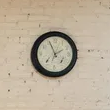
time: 1:56
